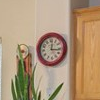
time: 12:16
